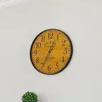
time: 12:34
